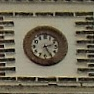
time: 2:25
